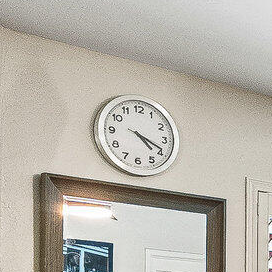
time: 4:18
